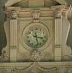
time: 3:27
